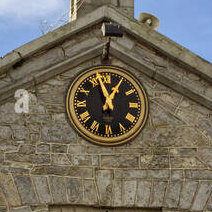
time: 12:57
